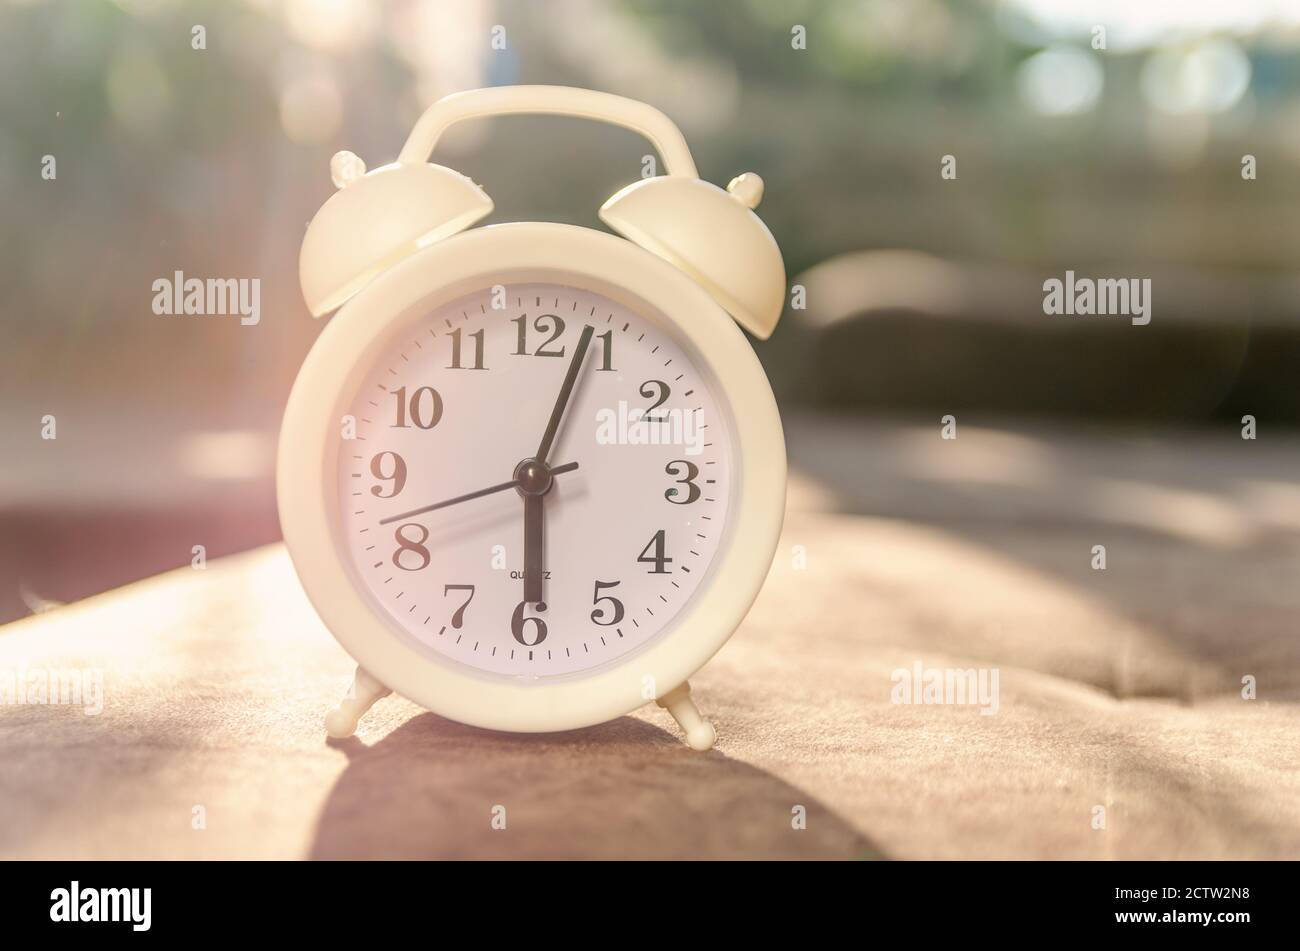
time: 6:03
